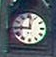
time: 9:01
